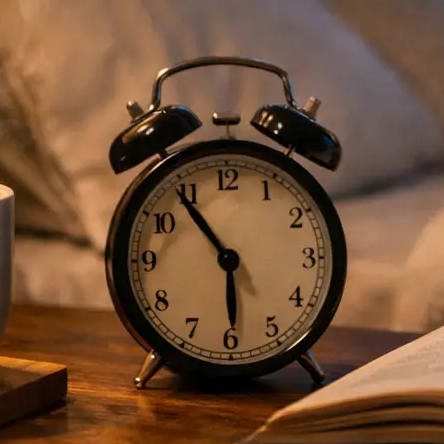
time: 5:54
